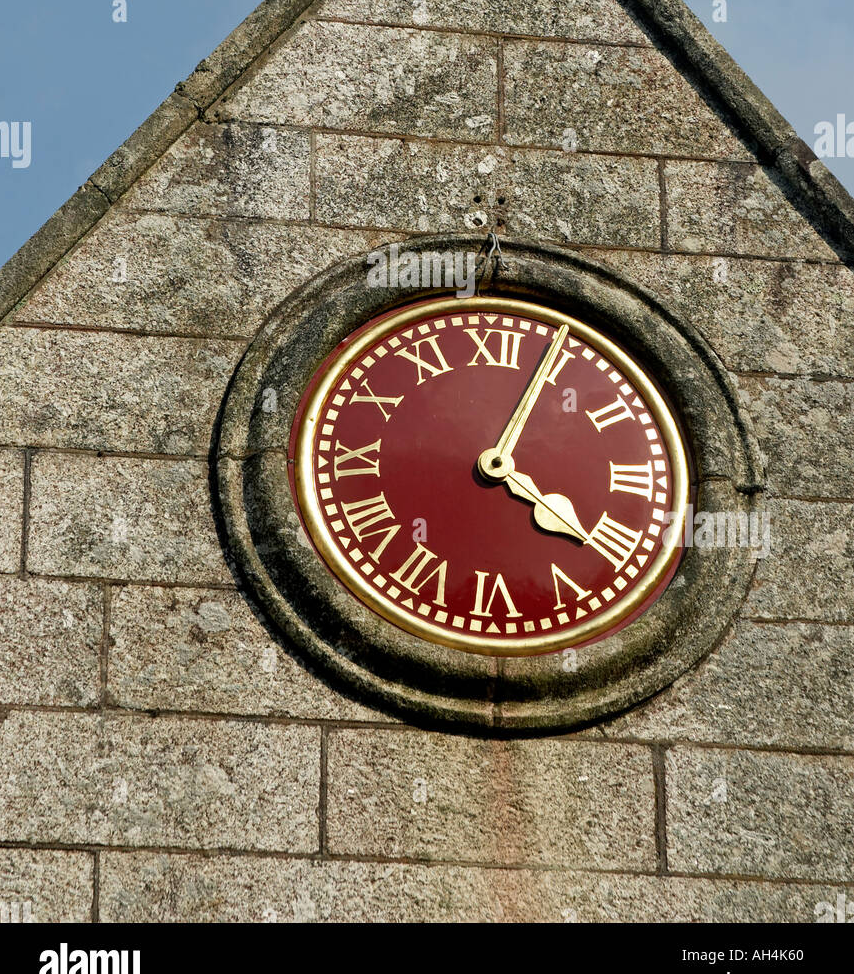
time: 4:04
